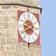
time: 3:40
